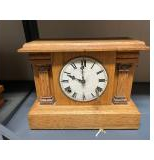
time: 10:00
